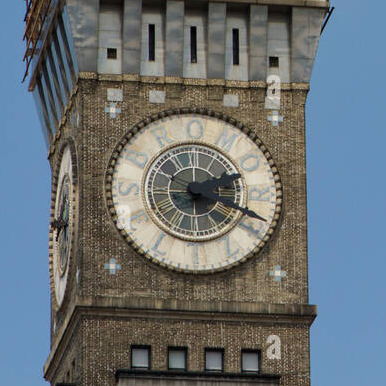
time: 2:18
